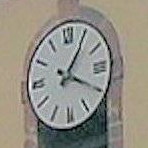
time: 4:05
